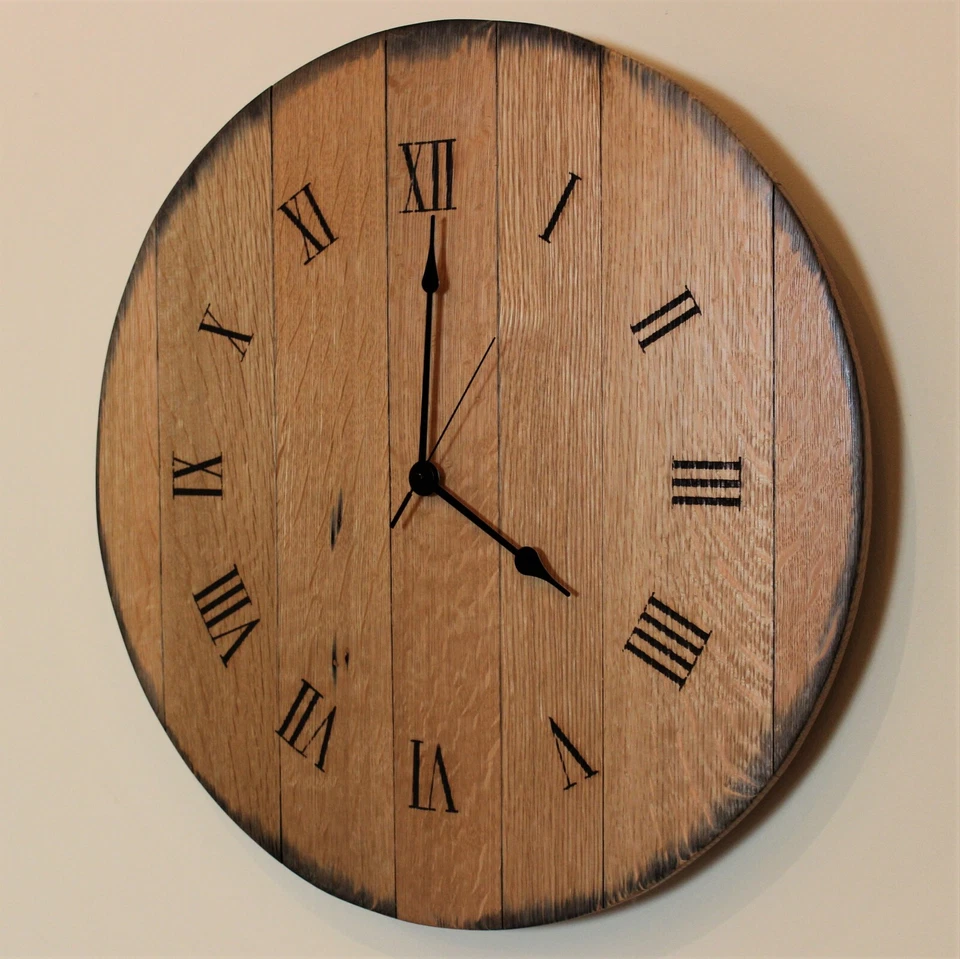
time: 4:00
